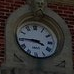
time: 3:45
